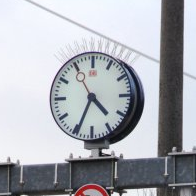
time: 4:34
